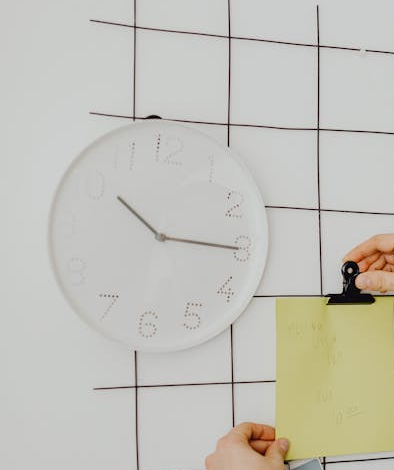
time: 10:15
